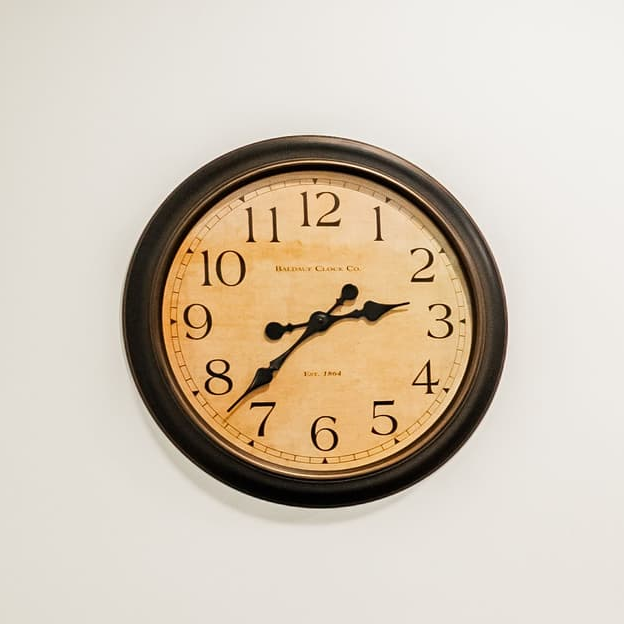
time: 2:37
